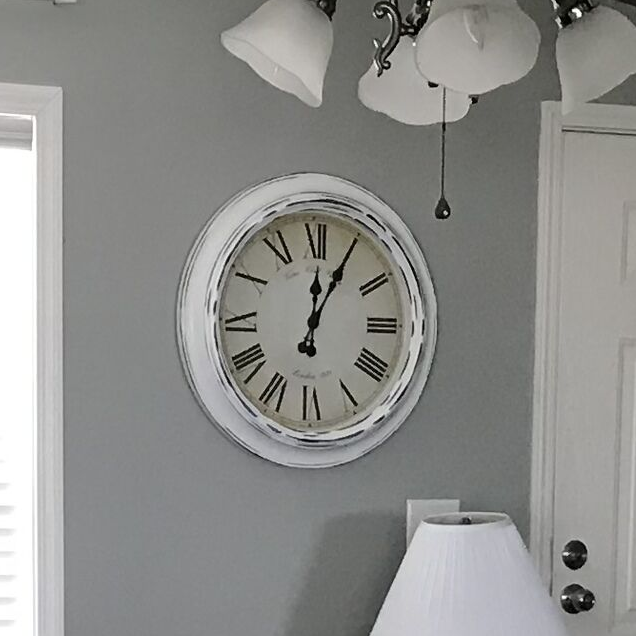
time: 12:04
